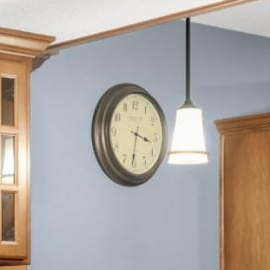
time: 3:31
